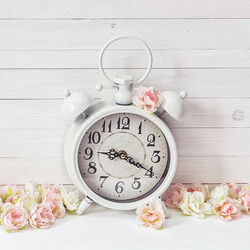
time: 9:19
